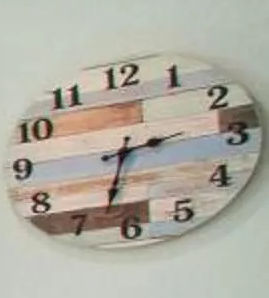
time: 2:32
